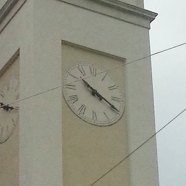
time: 10:19
